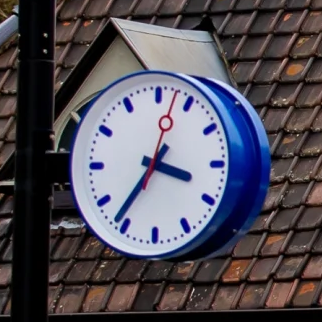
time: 3:36
